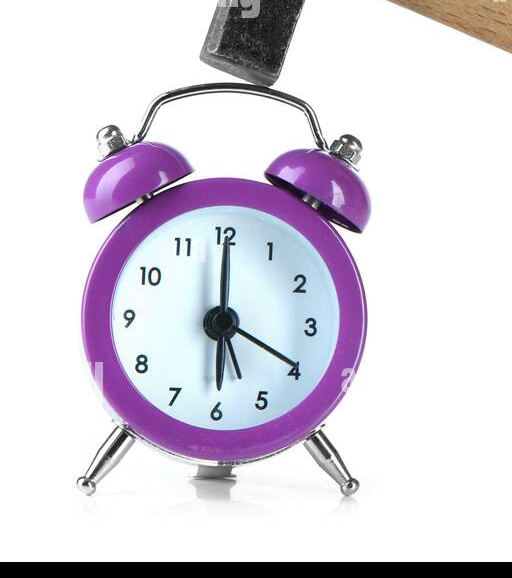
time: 6:00
